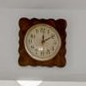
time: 12:09
